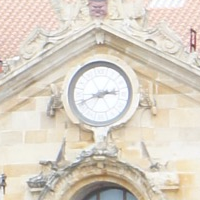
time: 2:40
